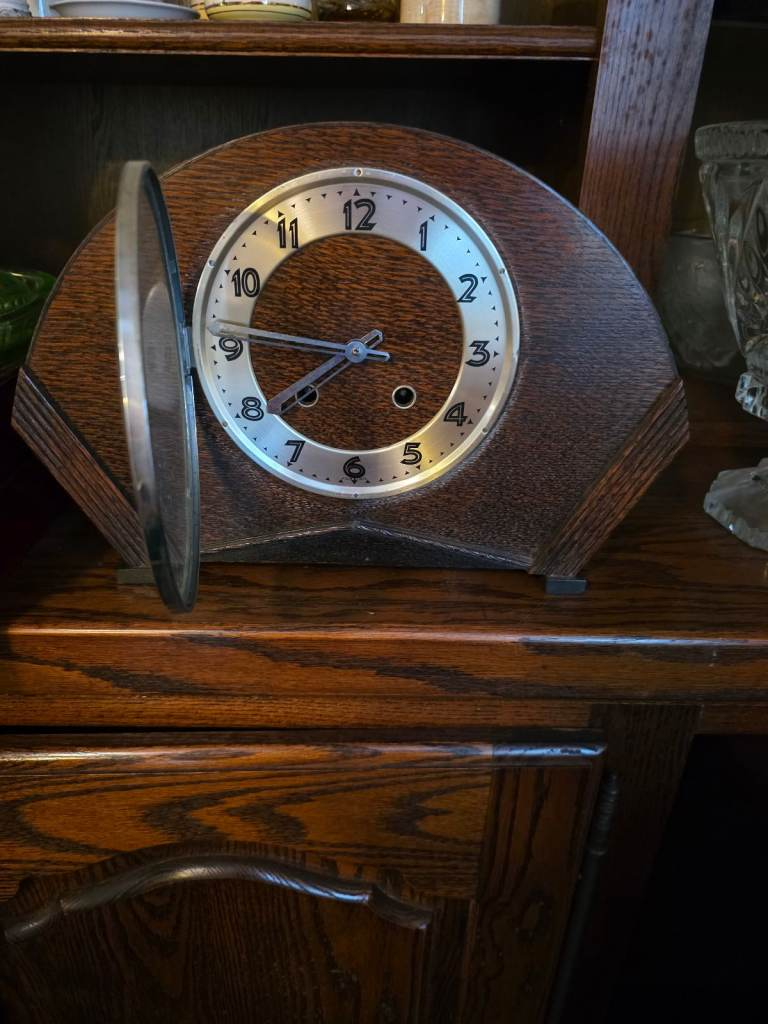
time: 7:46
